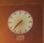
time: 7:37
